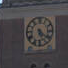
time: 5:21
